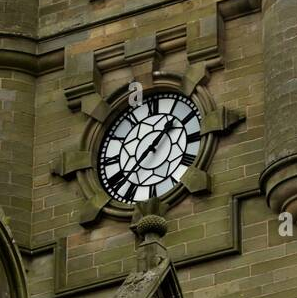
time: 1:37
